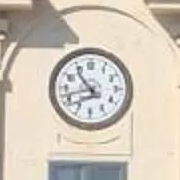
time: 10:42
